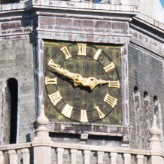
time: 2:48
